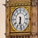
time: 6:28
